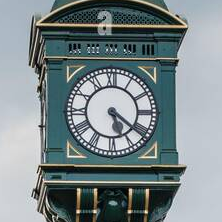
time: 5:21
